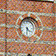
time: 4:31
